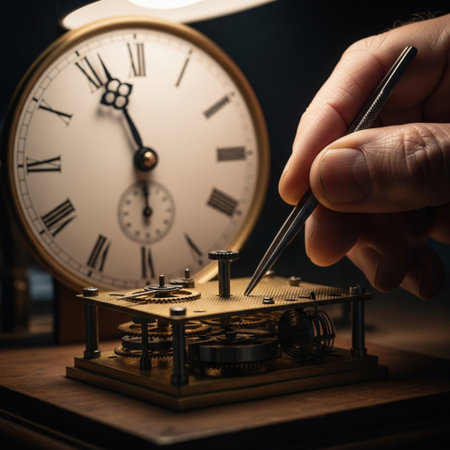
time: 5:56
